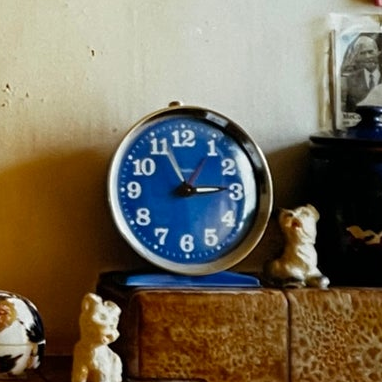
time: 2:56
